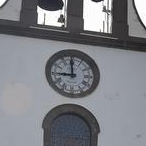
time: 8:59
